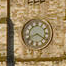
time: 8:20
